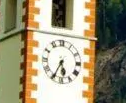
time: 5:34
